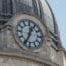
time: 12:34
